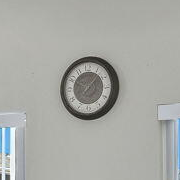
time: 10:07
